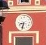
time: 8:32
